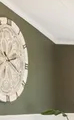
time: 2:18
